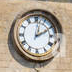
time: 2:01
